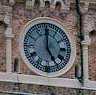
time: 4:59
